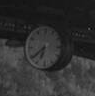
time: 6:38
